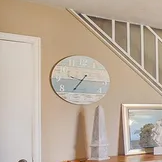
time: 7:15
